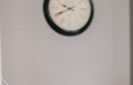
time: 9:40
